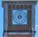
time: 9:01
